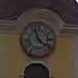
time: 11:21
